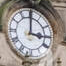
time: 3:00
